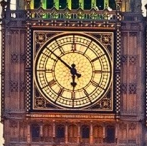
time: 5:51
